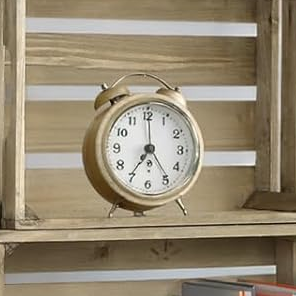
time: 7:00
